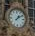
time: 1:09
